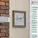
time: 9:12
